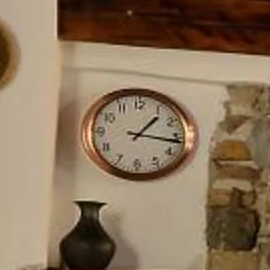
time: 1:16
